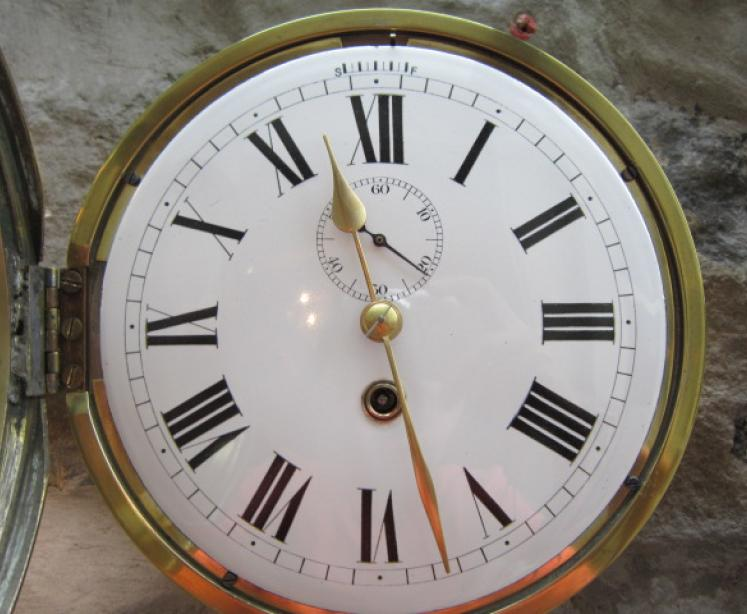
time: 11:27
